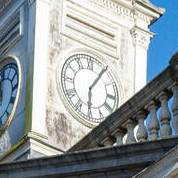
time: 6:05
